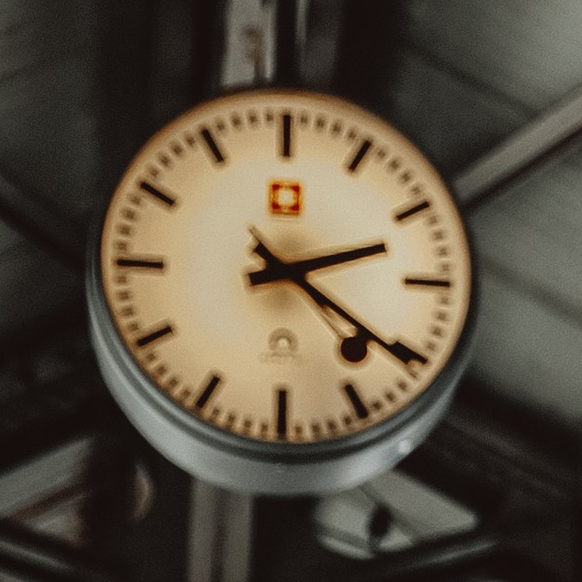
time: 2:21
